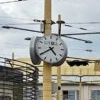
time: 4:39
